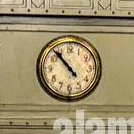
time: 10:53
